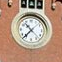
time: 10:37
